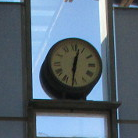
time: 12:31
